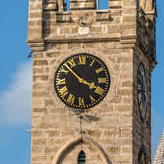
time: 3:52
